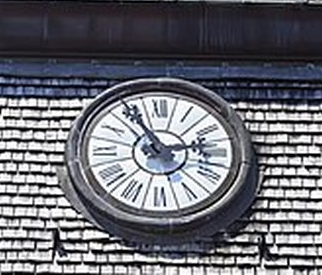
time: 2:54
